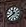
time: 11:39
